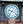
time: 9:36
